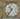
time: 10:36
